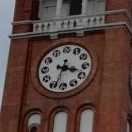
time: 3:33
